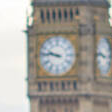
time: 9:46
